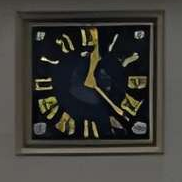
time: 12:23
